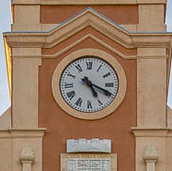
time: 5:19
